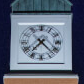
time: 7:22
